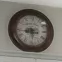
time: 8:28
